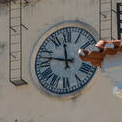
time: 11:46
